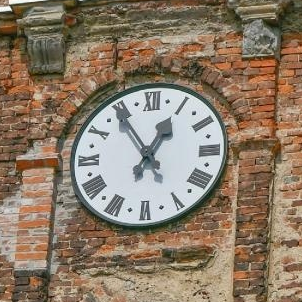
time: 12:54
